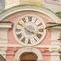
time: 3:50
